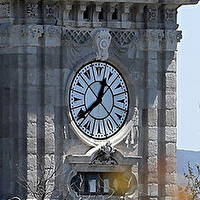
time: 12:39
